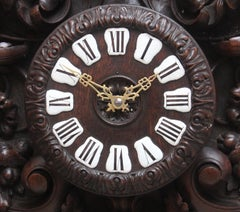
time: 1:51
